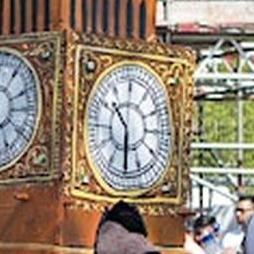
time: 10:30
